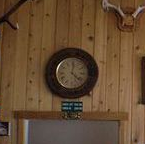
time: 12:22
